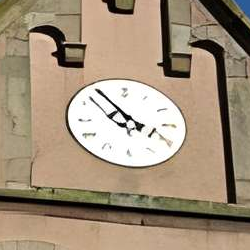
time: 3:54
